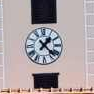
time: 1:22
